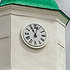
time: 11:02
